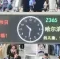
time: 10:31
